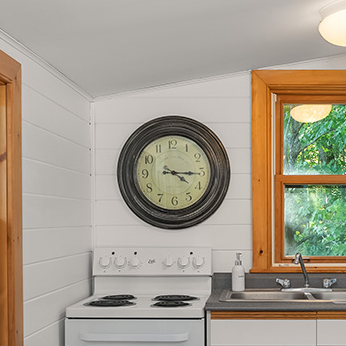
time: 4:15
